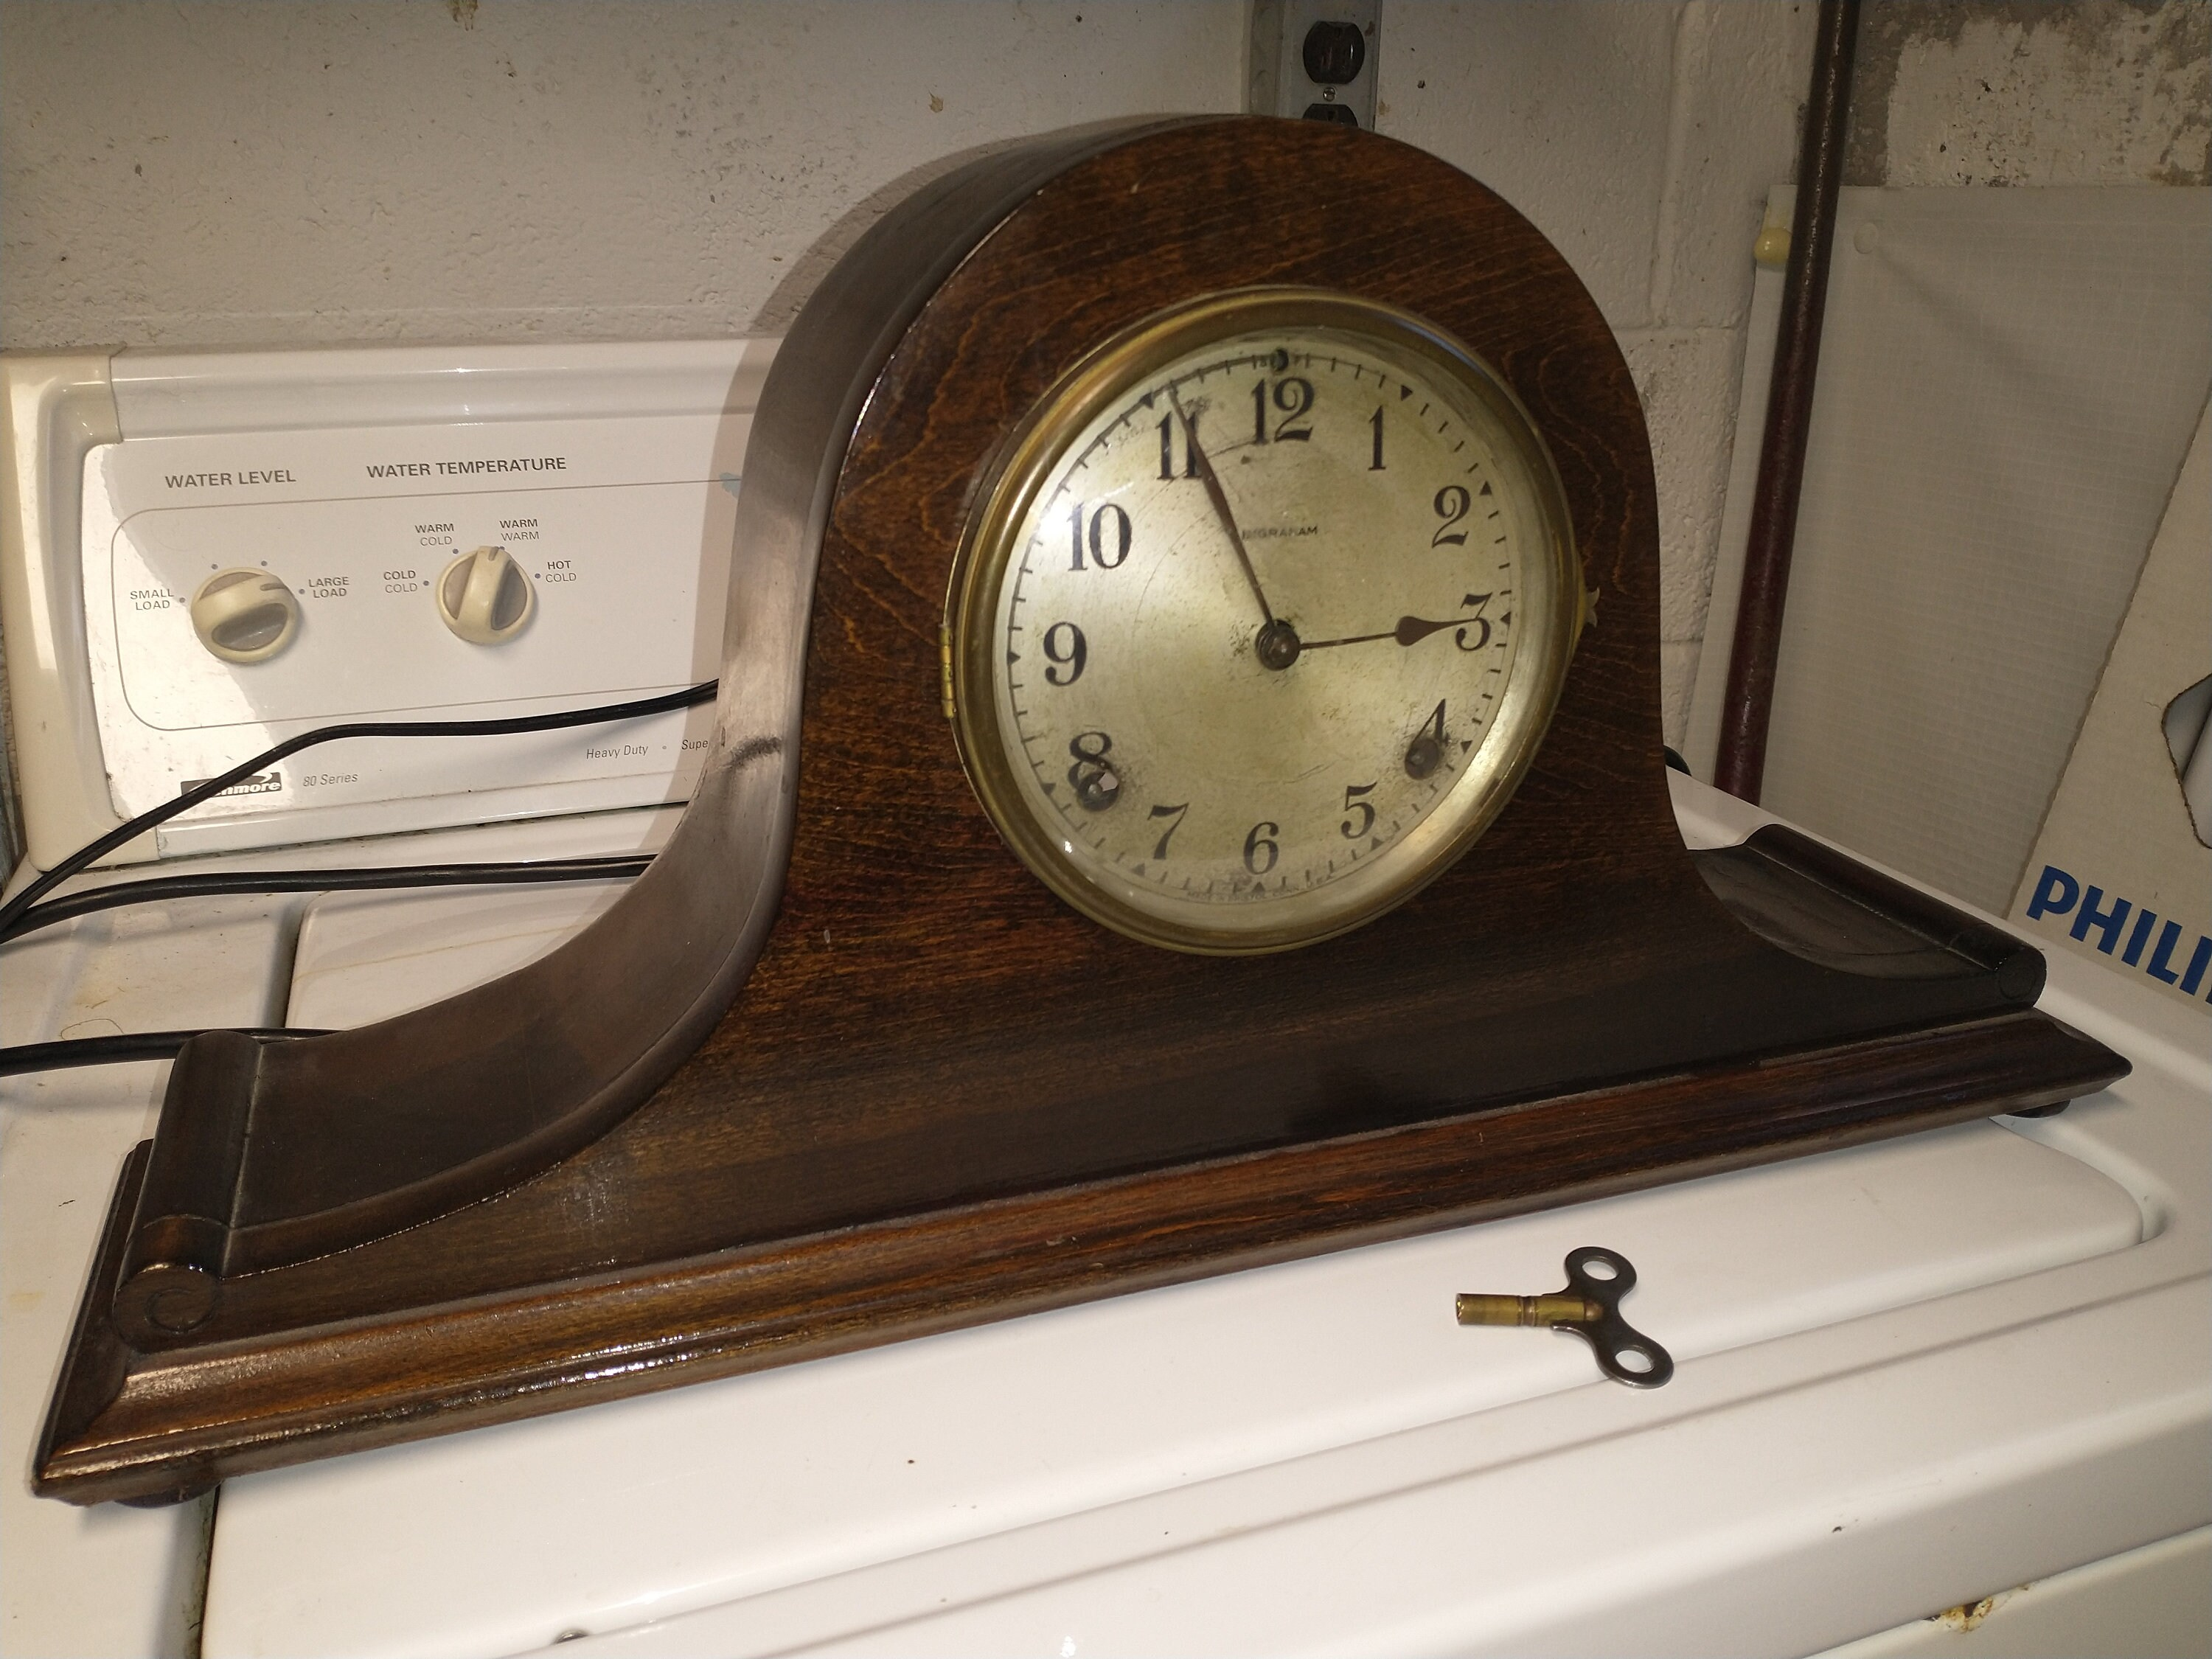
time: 2:55
